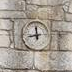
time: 11:42
